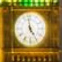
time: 4:58
